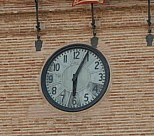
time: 6:04
